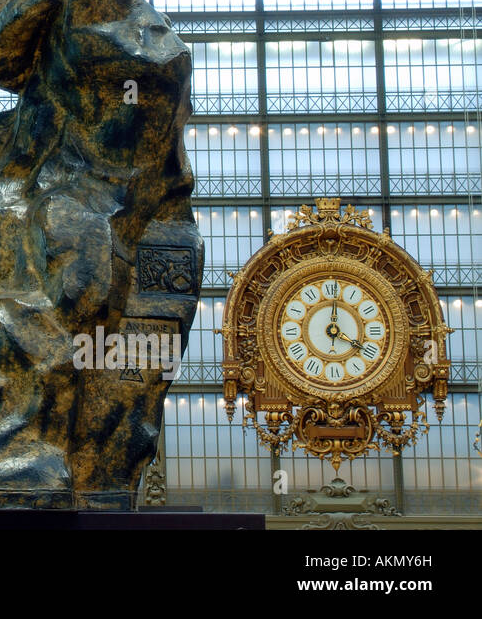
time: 4:01
